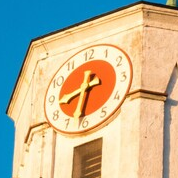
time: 8:32
